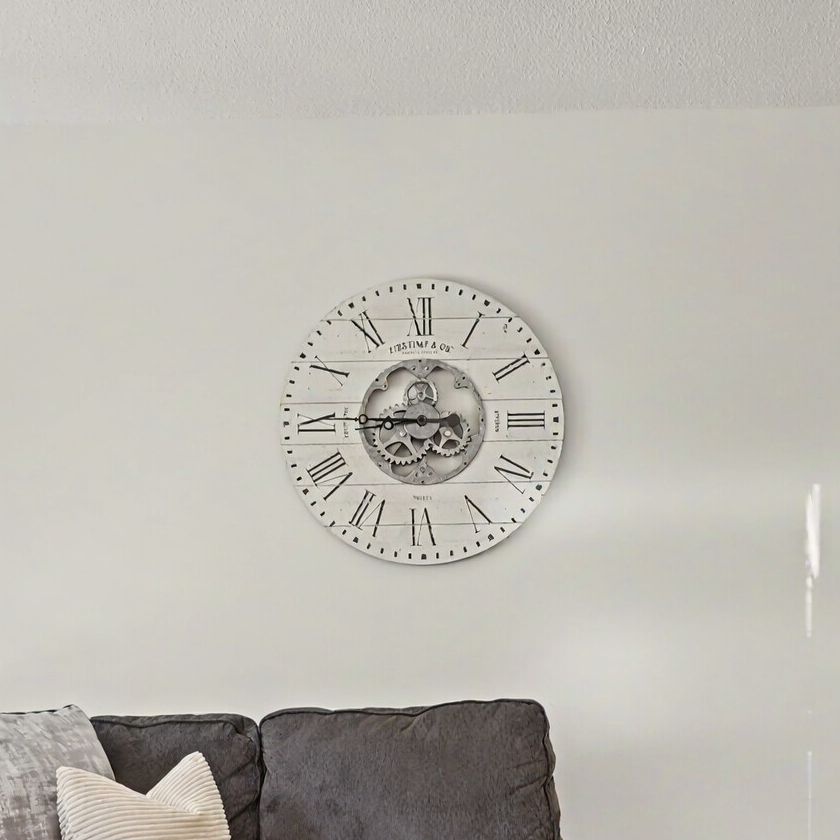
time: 8:45
